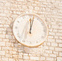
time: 12:02
